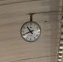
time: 10:41
